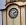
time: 2:23
